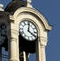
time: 4:01
